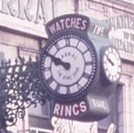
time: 9:50
